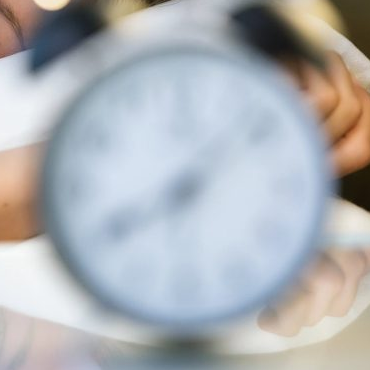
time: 8:07
